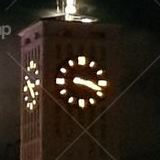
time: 3:18
